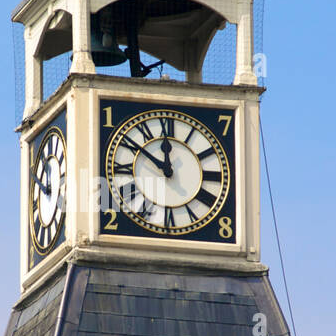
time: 11:50
